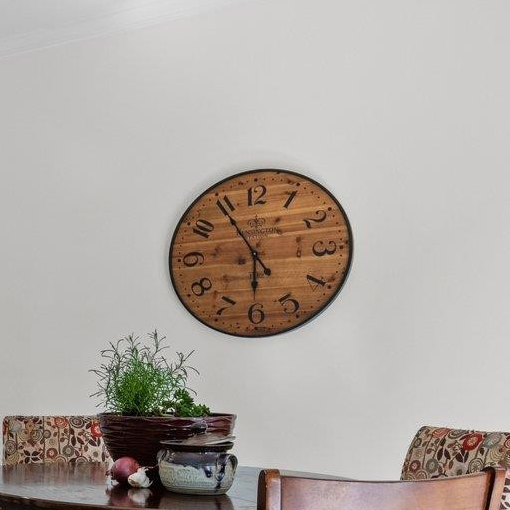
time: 5:54
